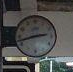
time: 2:42
